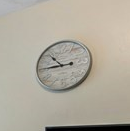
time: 10:45
